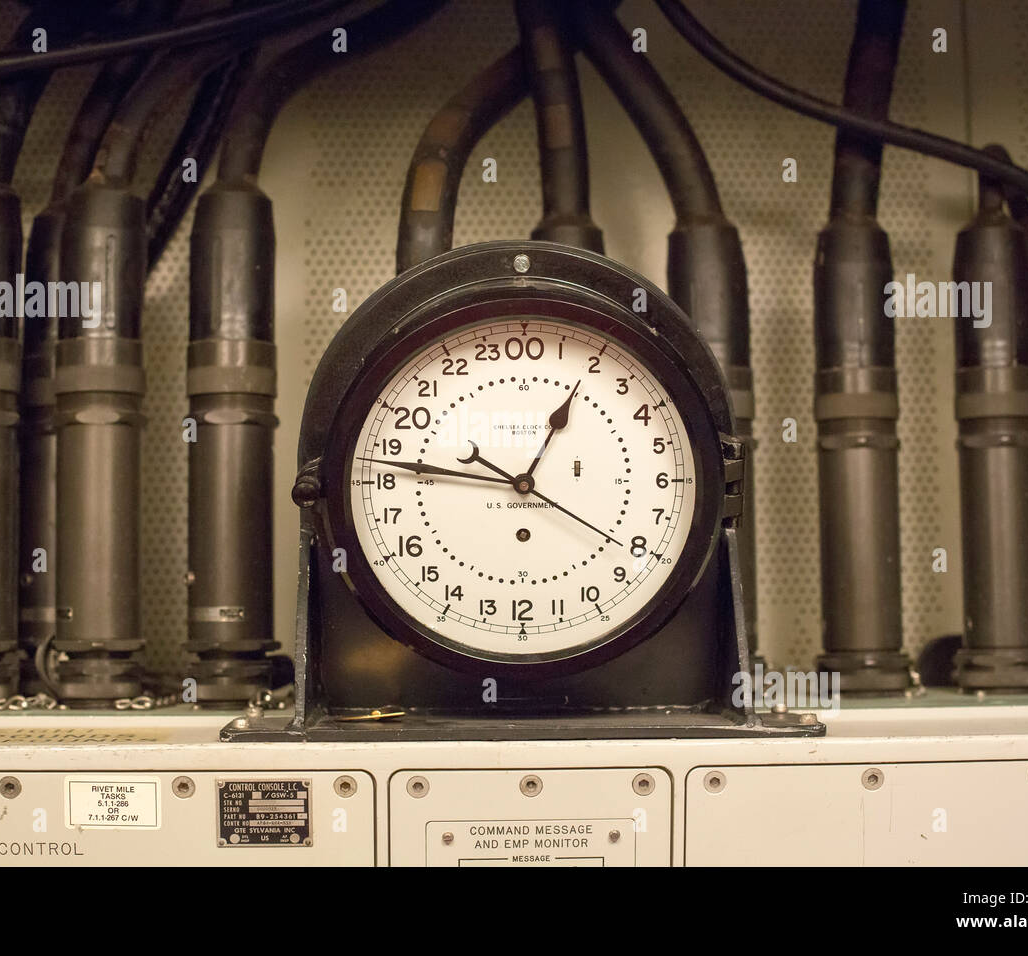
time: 12:46
